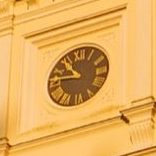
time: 10:45
